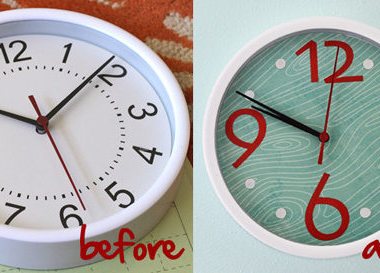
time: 9:49
